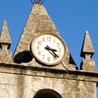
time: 3:22
